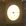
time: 5:14
